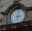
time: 3:01
